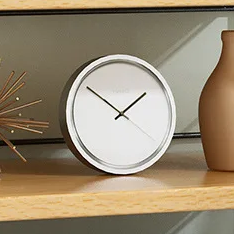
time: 1:50
